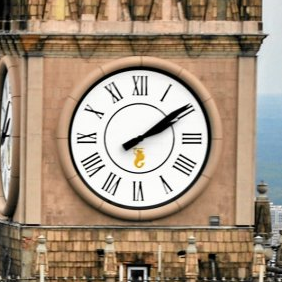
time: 2:09
